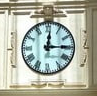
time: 12:14
